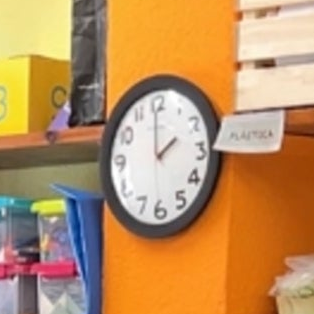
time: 1:59
